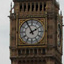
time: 1:55
